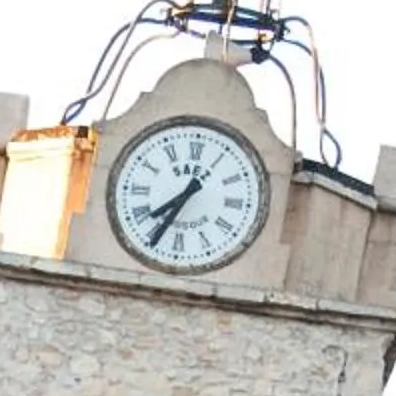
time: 7:34
